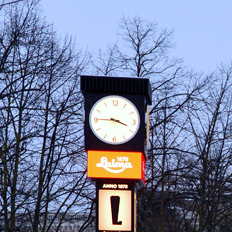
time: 3:45
